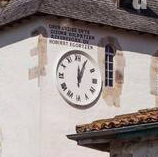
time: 12:04
